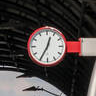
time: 12:34
